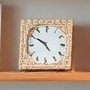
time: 4:50
